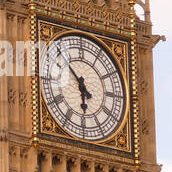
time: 5:52
